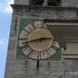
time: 2:42
